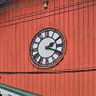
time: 2:18
